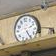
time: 2:25
